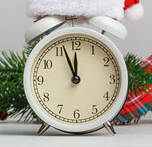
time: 11:56
